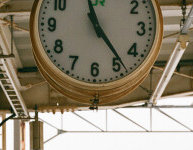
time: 11:23
